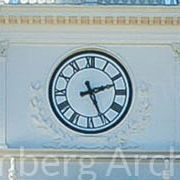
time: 2:26
